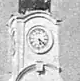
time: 5:21
